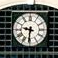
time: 9:31
